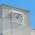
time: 10:02
